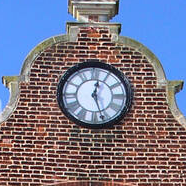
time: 12:26
